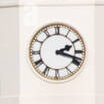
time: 2:18
